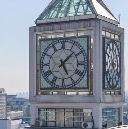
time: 5:07
